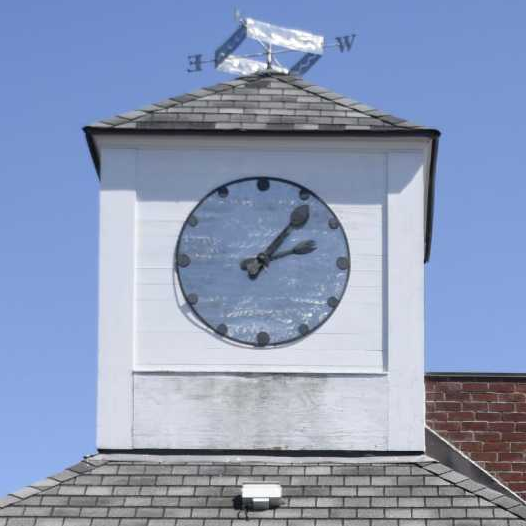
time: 2:06
